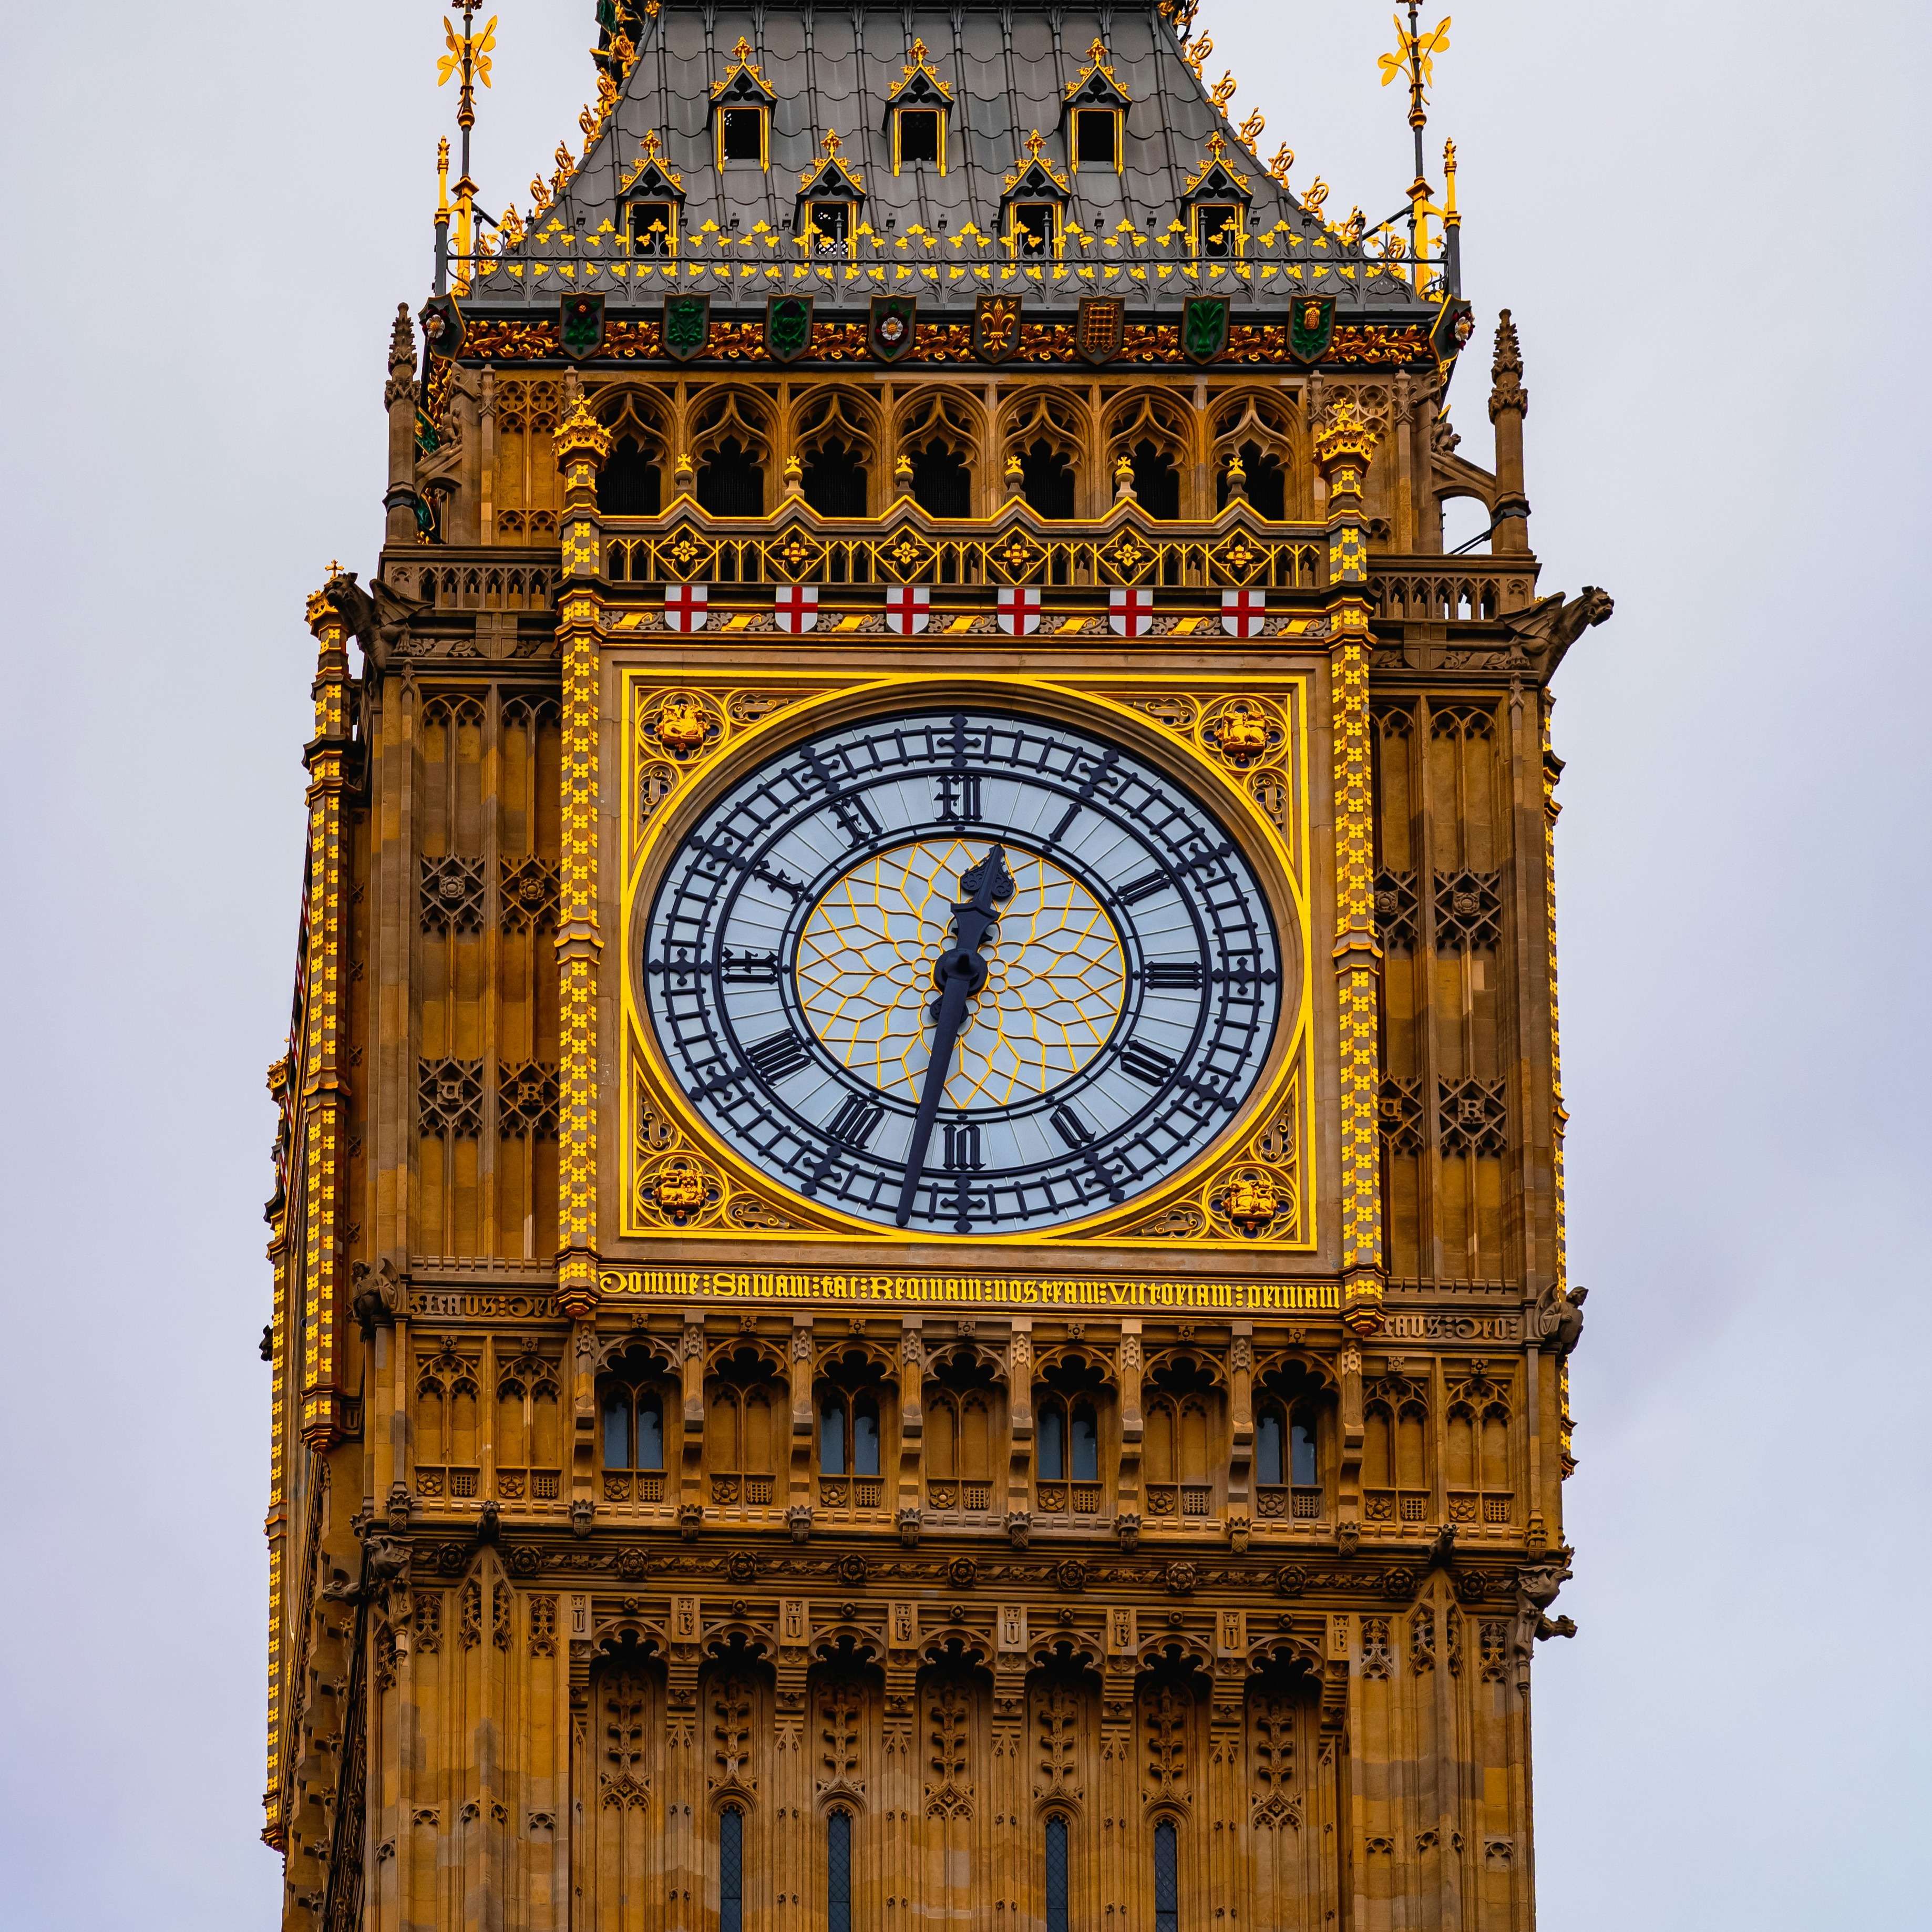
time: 12:31
